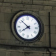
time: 7:52
